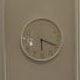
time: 6:18
